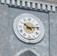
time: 10:13
